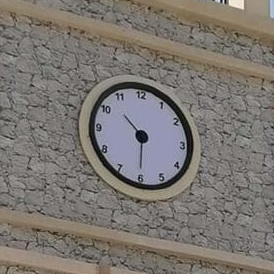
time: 10:30
